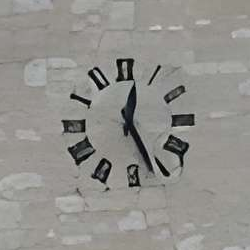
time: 12:26
